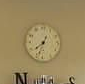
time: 7:33
